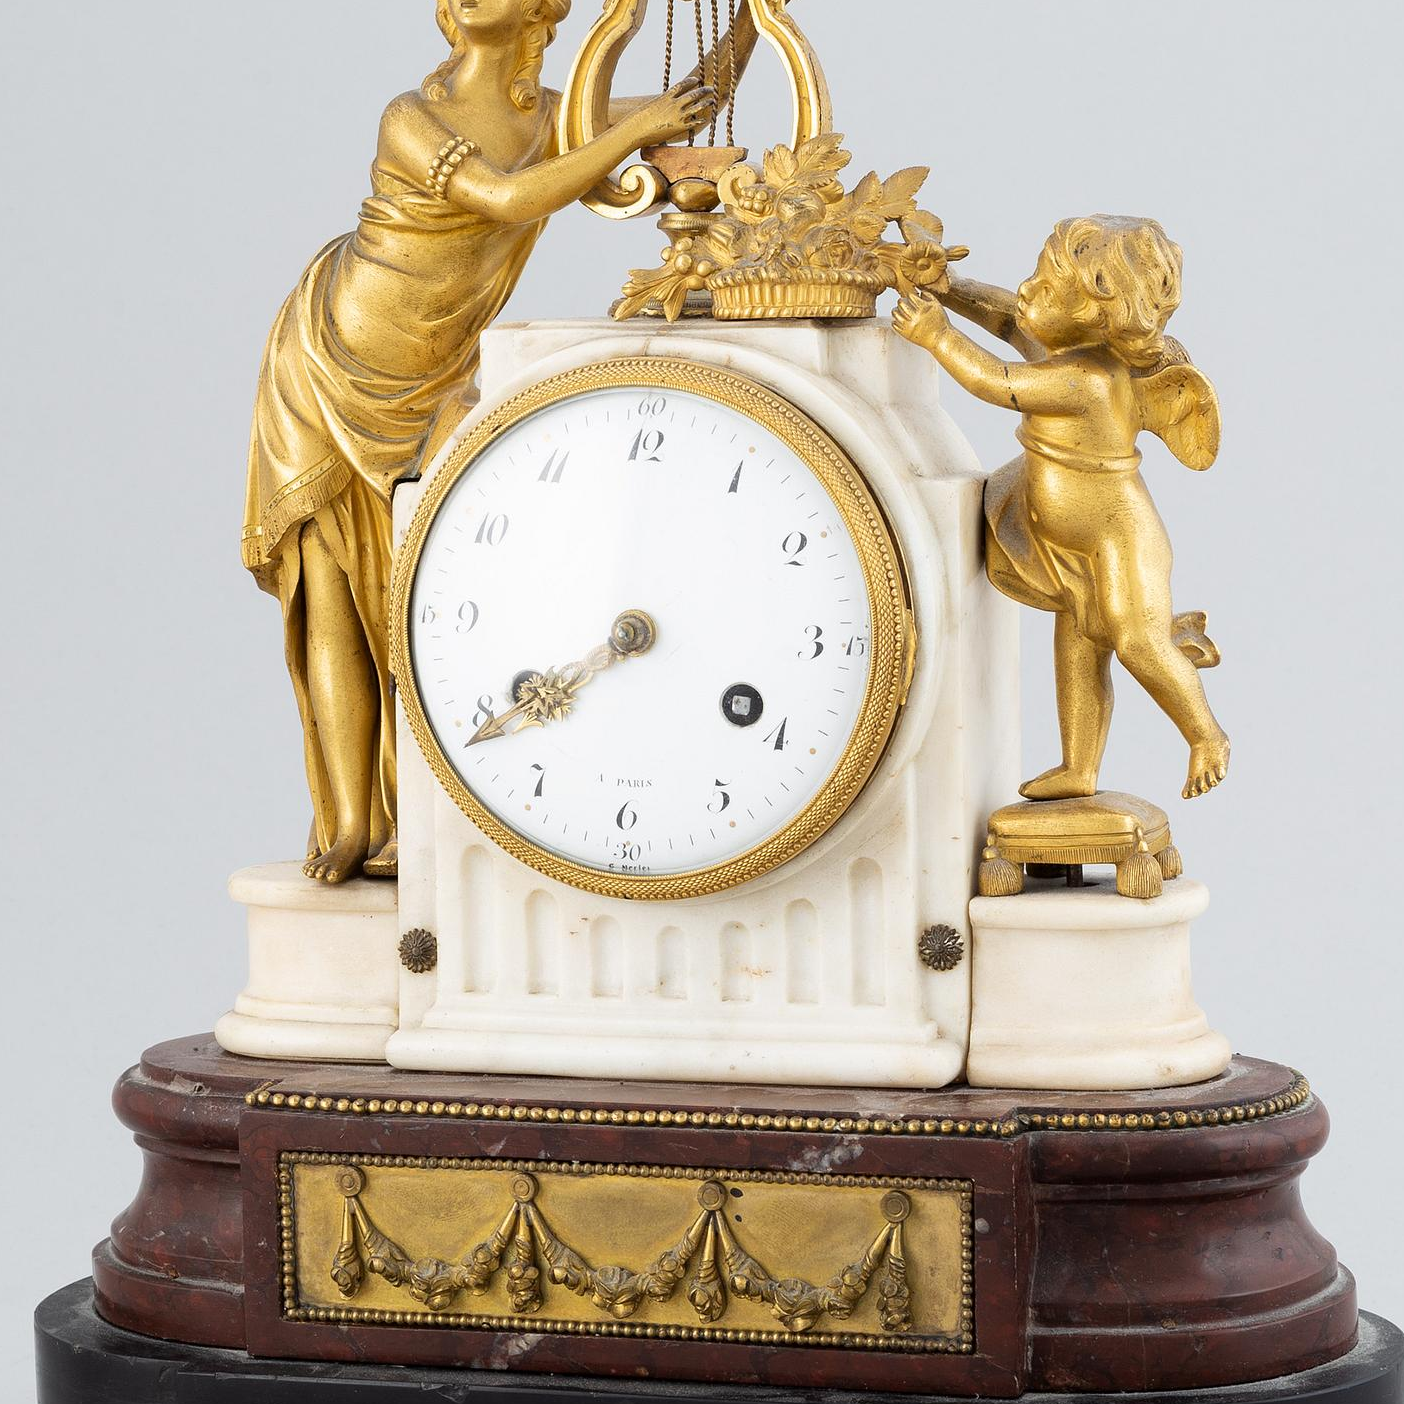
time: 7:39
